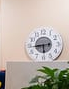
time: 5:44
